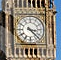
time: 3:22
